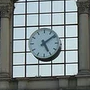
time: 5:08
